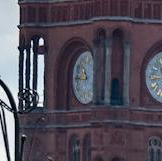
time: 10:45
